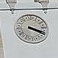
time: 3:18
